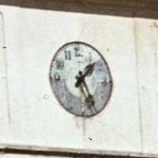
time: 1:26
